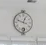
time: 12:48
